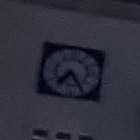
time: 7:24
